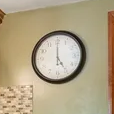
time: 5:00
